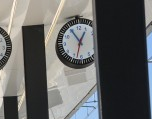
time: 12:54
